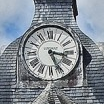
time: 3:26
